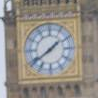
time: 1:39
